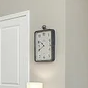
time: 9:40
